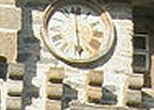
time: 5:59
